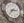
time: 2:36
